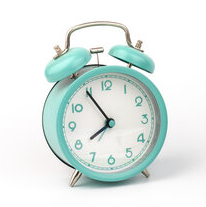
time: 7:54
